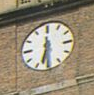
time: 6:29
